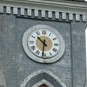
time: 10:31
